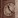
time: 11:22
